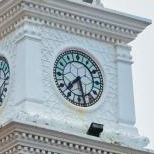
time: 7:28
